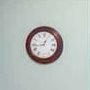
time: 12:43
